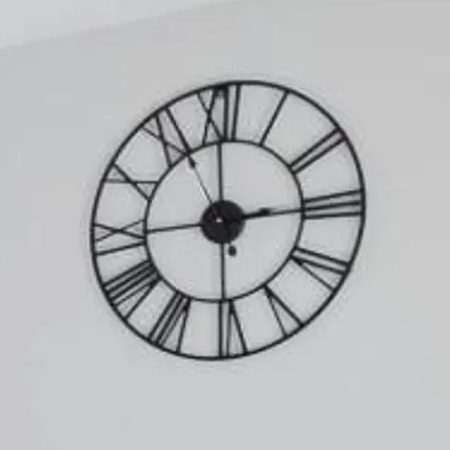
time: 2:59
